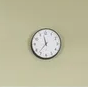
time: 11:36
